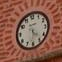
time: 4:31
